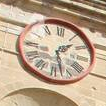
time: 1:27
